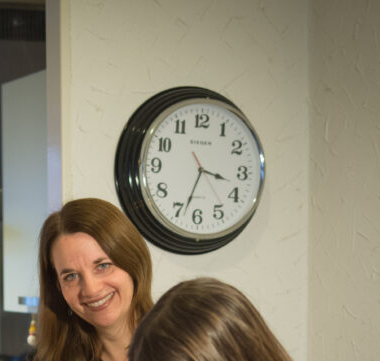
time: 3:33
